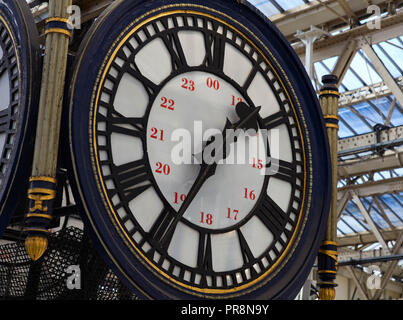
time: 1:34
